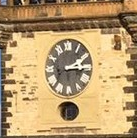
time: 2:14
